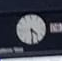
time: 4:29
